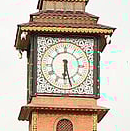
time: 6:27
